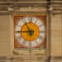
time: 10:45
